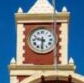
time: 9:31
